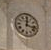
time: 12:16
